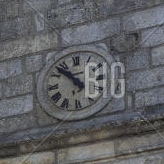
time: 10:52
